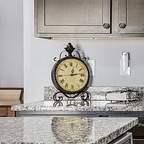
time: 12:13
